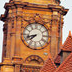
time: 7:42
